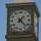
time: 1:22
